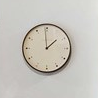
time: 1:59
